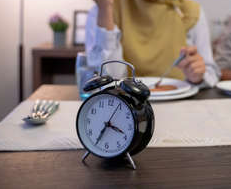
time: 3:34
